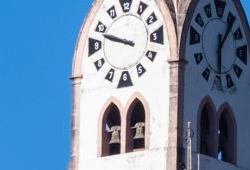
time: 9:48
